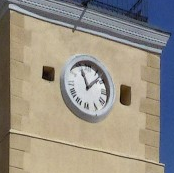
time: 11:07
